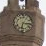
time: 6:15
